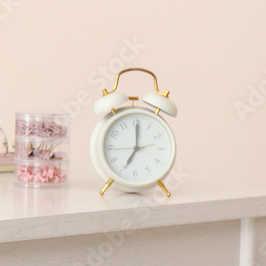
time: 7:00
